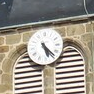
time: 5:22
